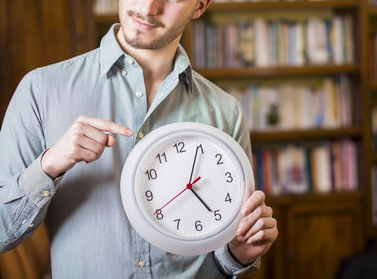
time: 5:04
